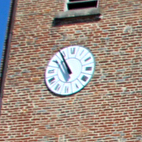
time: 5:54
